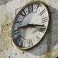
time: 9:18
